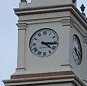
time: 4:16
